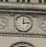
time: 12:13
